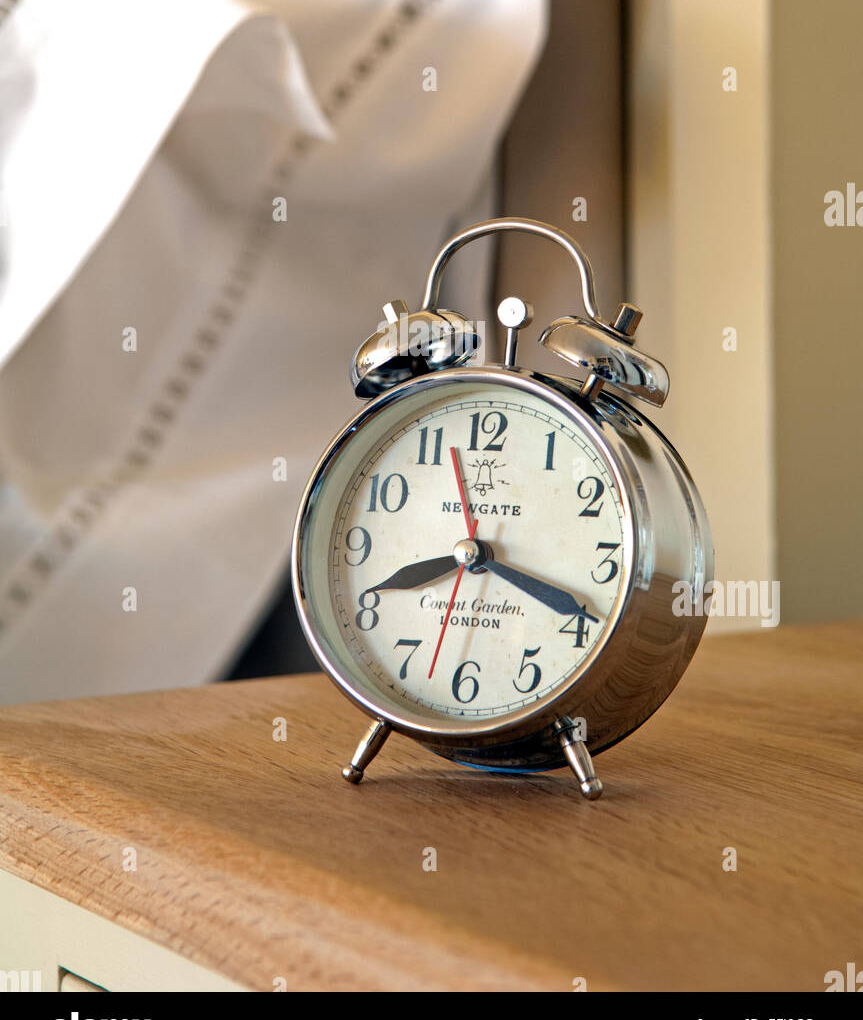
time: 8:18
